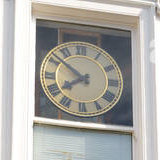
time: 7:51
